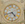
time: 4:42
